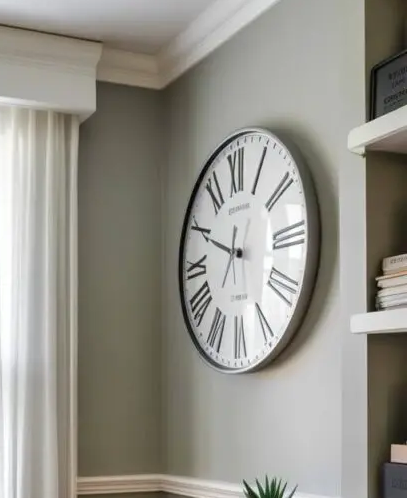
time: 9:49
